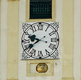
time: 9:39
